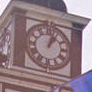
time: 1:02
